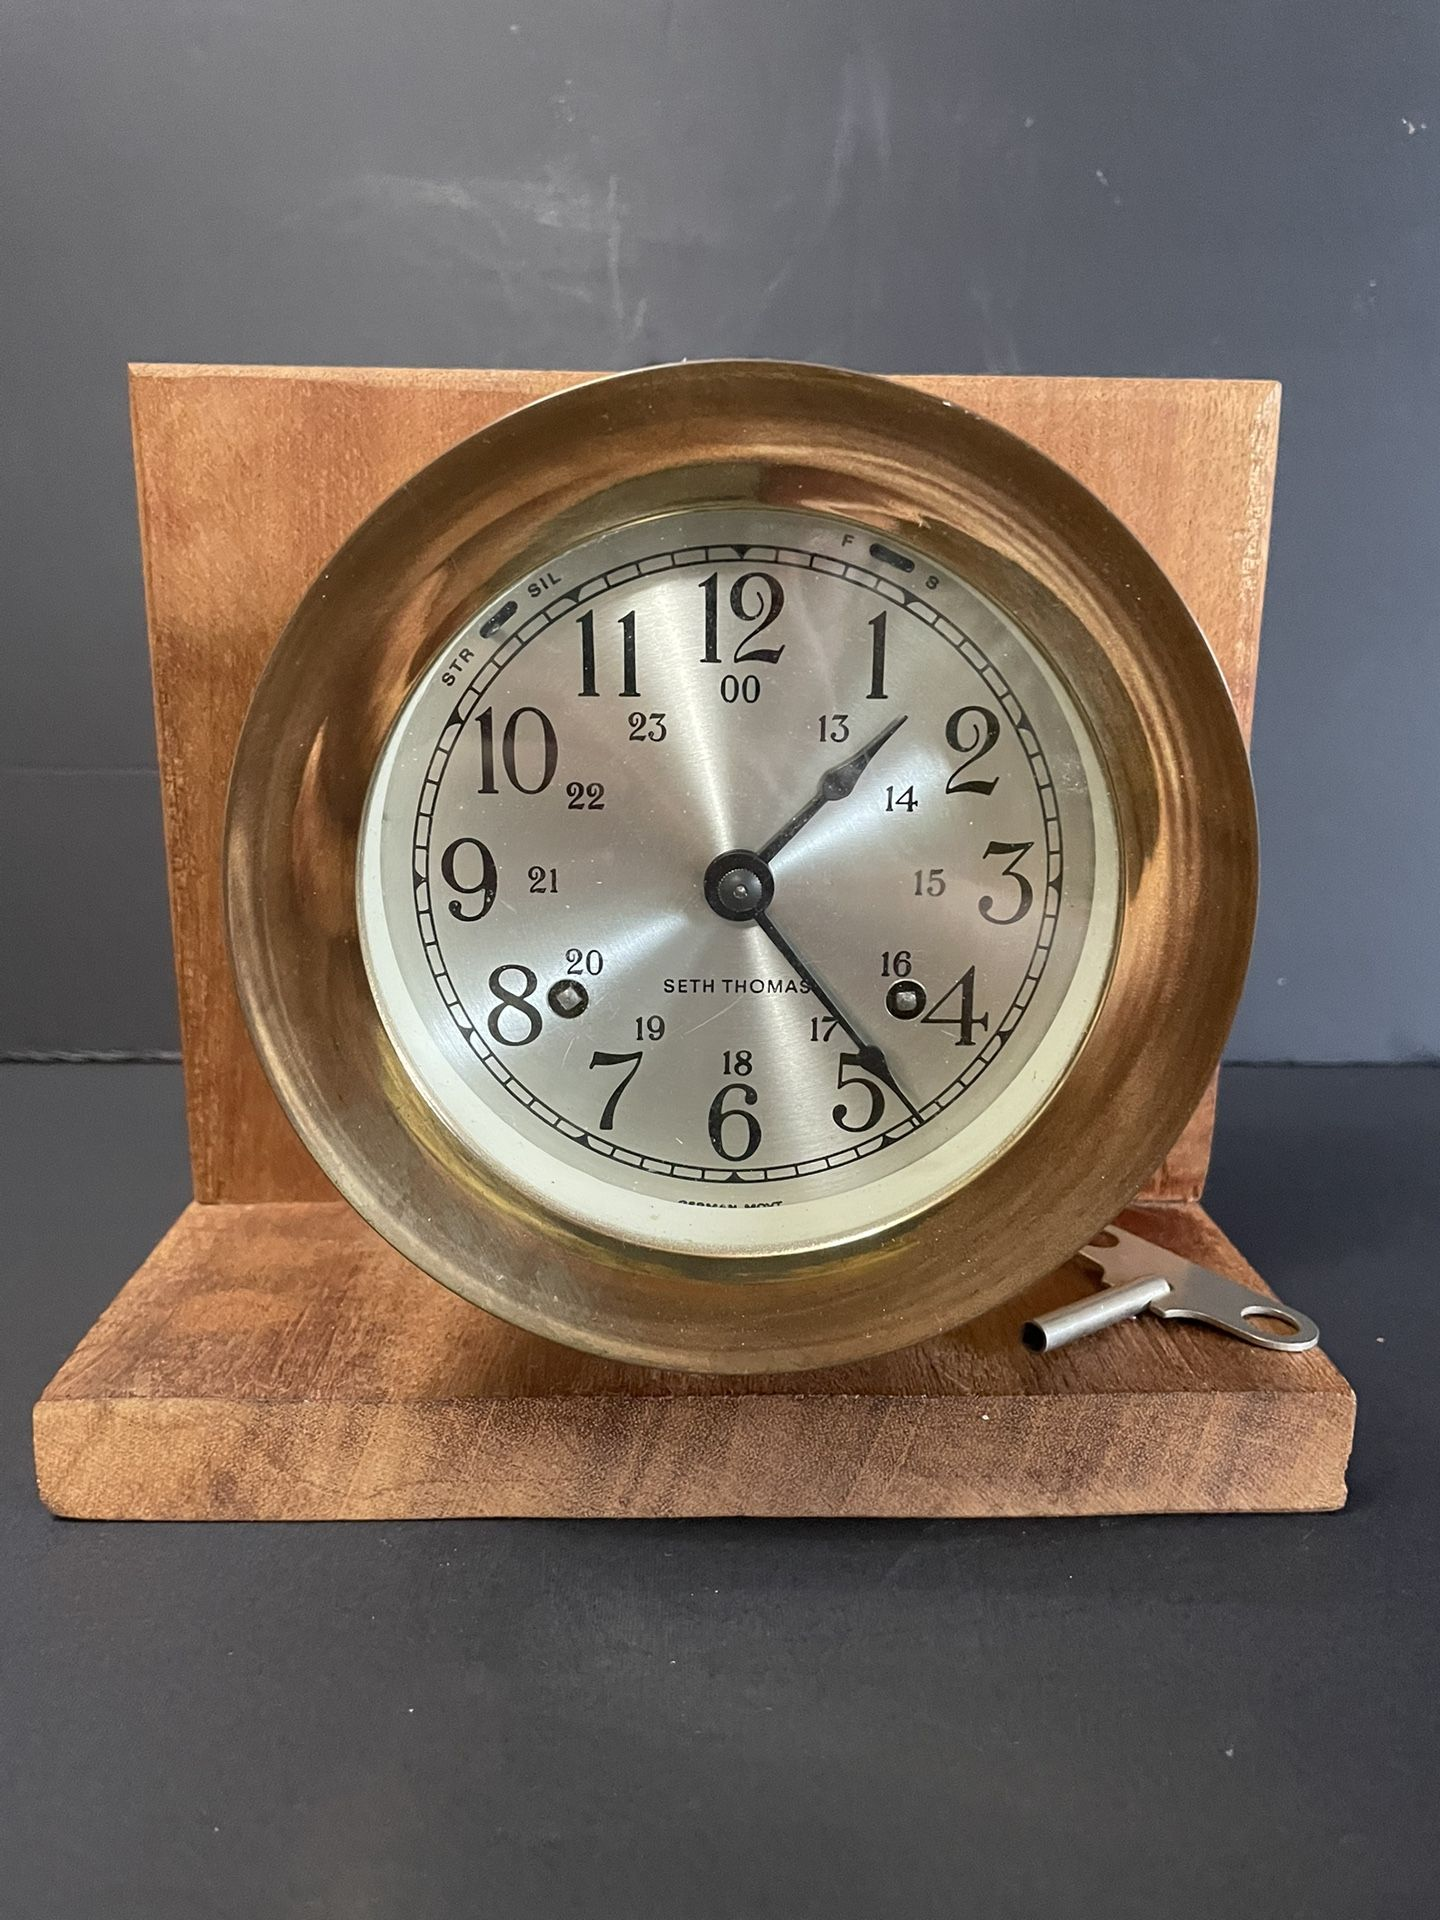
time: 1:23
